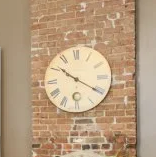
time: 10:20
